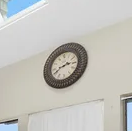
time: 2:40
